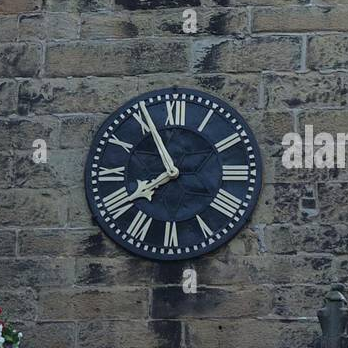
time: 7:55
